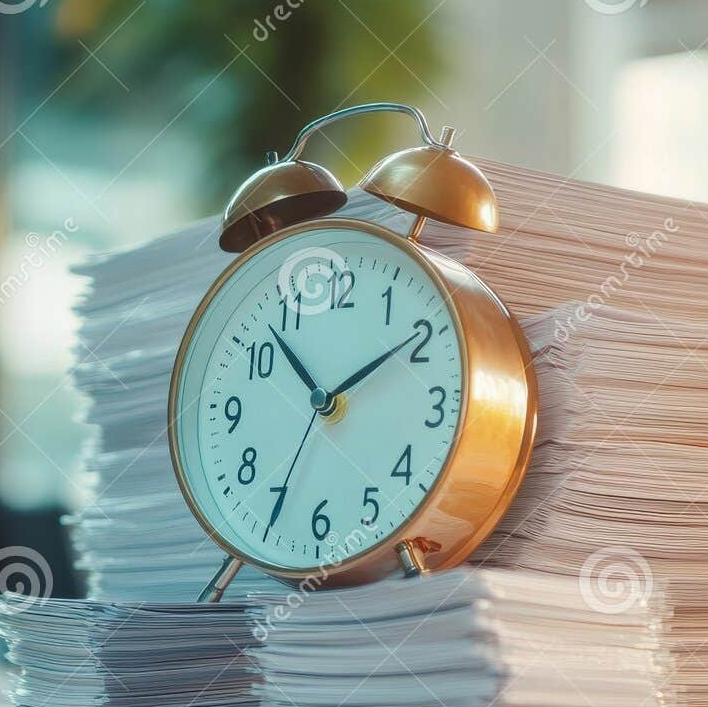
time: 1:52
